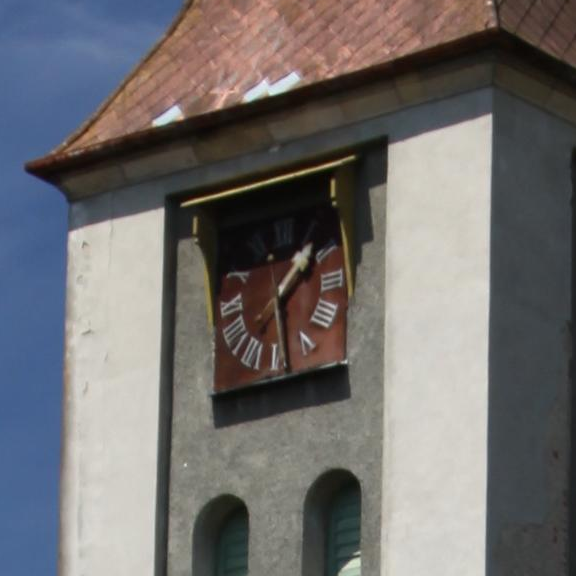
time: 1:28
